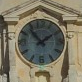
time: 1:53
